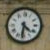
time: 4:31
